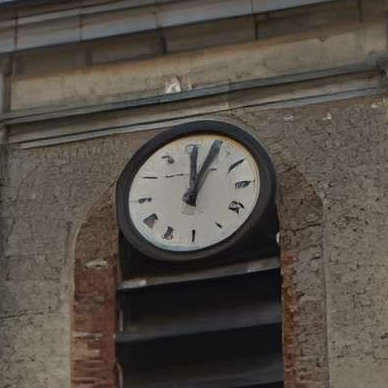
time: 12:04
